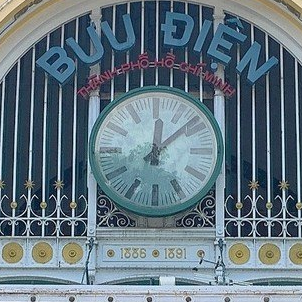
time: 12:07
